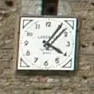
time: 4:05
